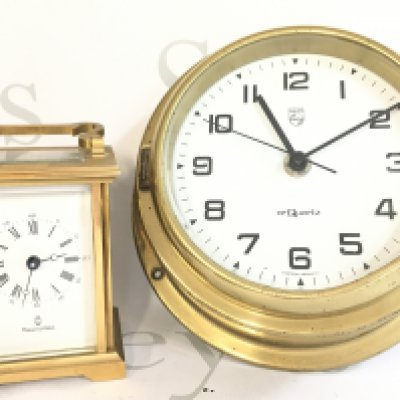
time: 11:09
